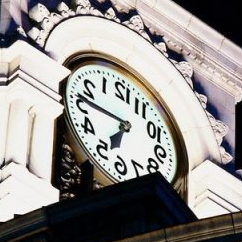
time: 6:46
